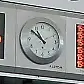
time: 10:51
